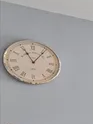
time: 11:06
